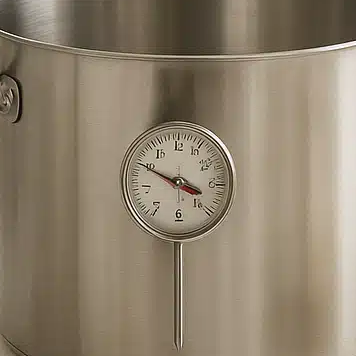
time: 3:49
